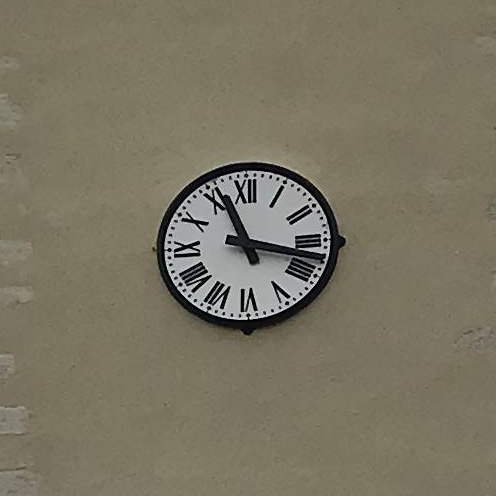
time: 11:17
